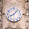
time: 8:07
